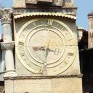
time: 8:31
